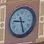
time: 9:27
